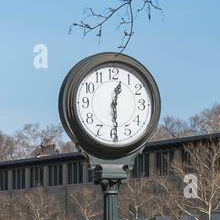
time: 12:29
